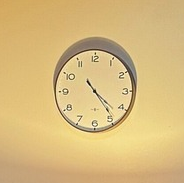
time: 4:23
